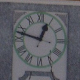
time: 12:47
